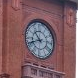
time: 10:41
